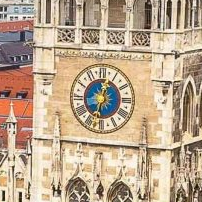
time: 12:32
